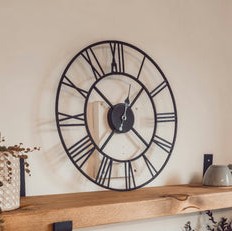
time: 1:37
